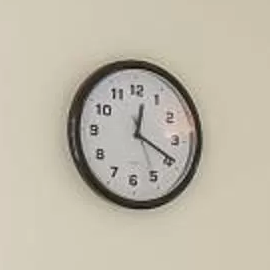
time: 12:19
